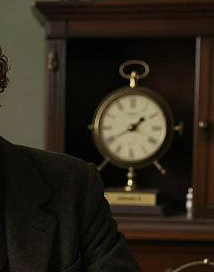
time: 1:40
